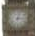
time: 3:02
